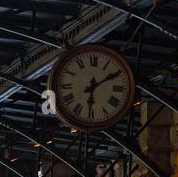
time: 6:09
